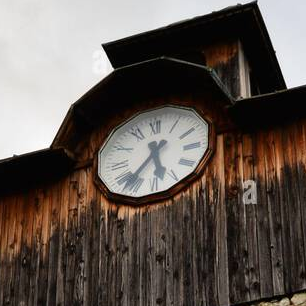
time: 5:35
